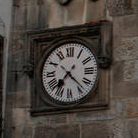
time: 7:22
